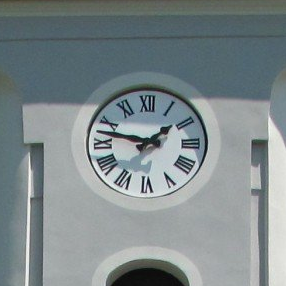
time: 1:47
